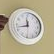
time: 11:42
